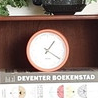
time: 1:20
